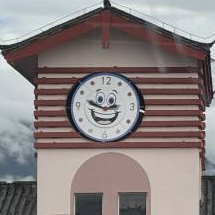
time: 2:48
